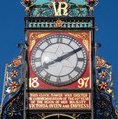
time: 8:10
